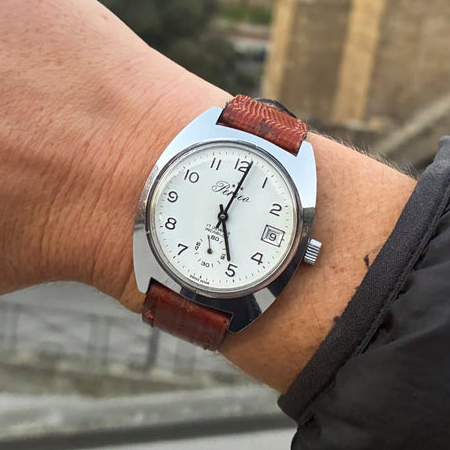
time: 5:01
